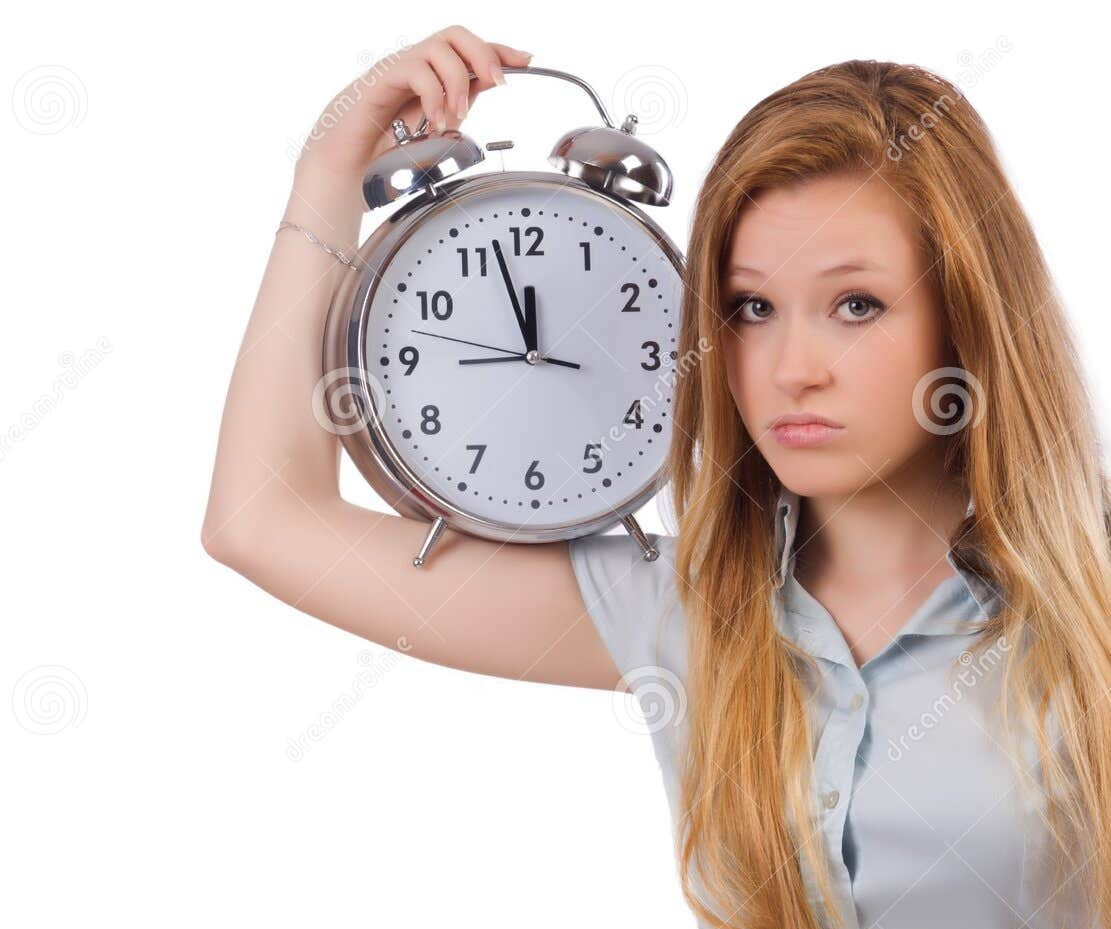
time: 11:57
